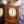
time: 5:59
